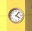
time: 4:07
